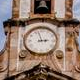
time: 2:57
